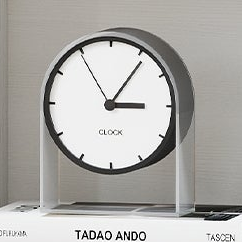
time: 3:05
